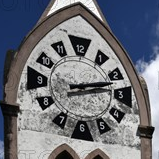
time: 2:12
